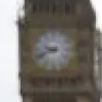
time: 9:41
